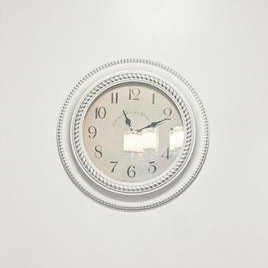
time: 11:11
